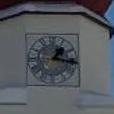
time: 1:16
